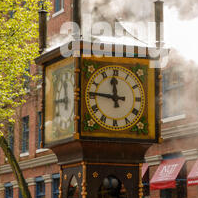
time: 11:46
